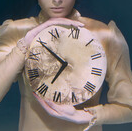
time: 6:50
